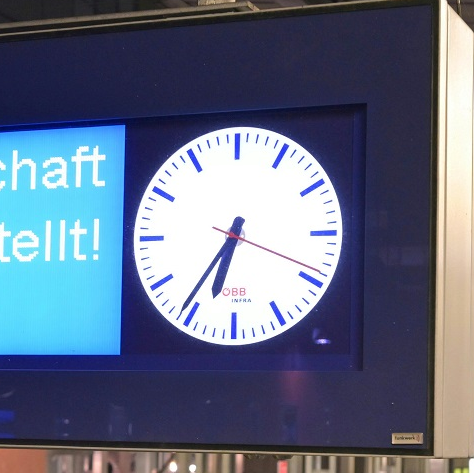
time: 6:36
